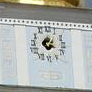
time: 1:18
